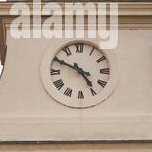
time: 4:49
